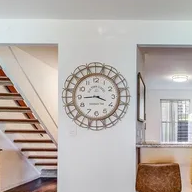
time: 3:44
